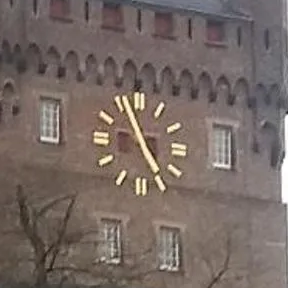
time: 4:56
